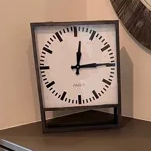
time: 12:14
